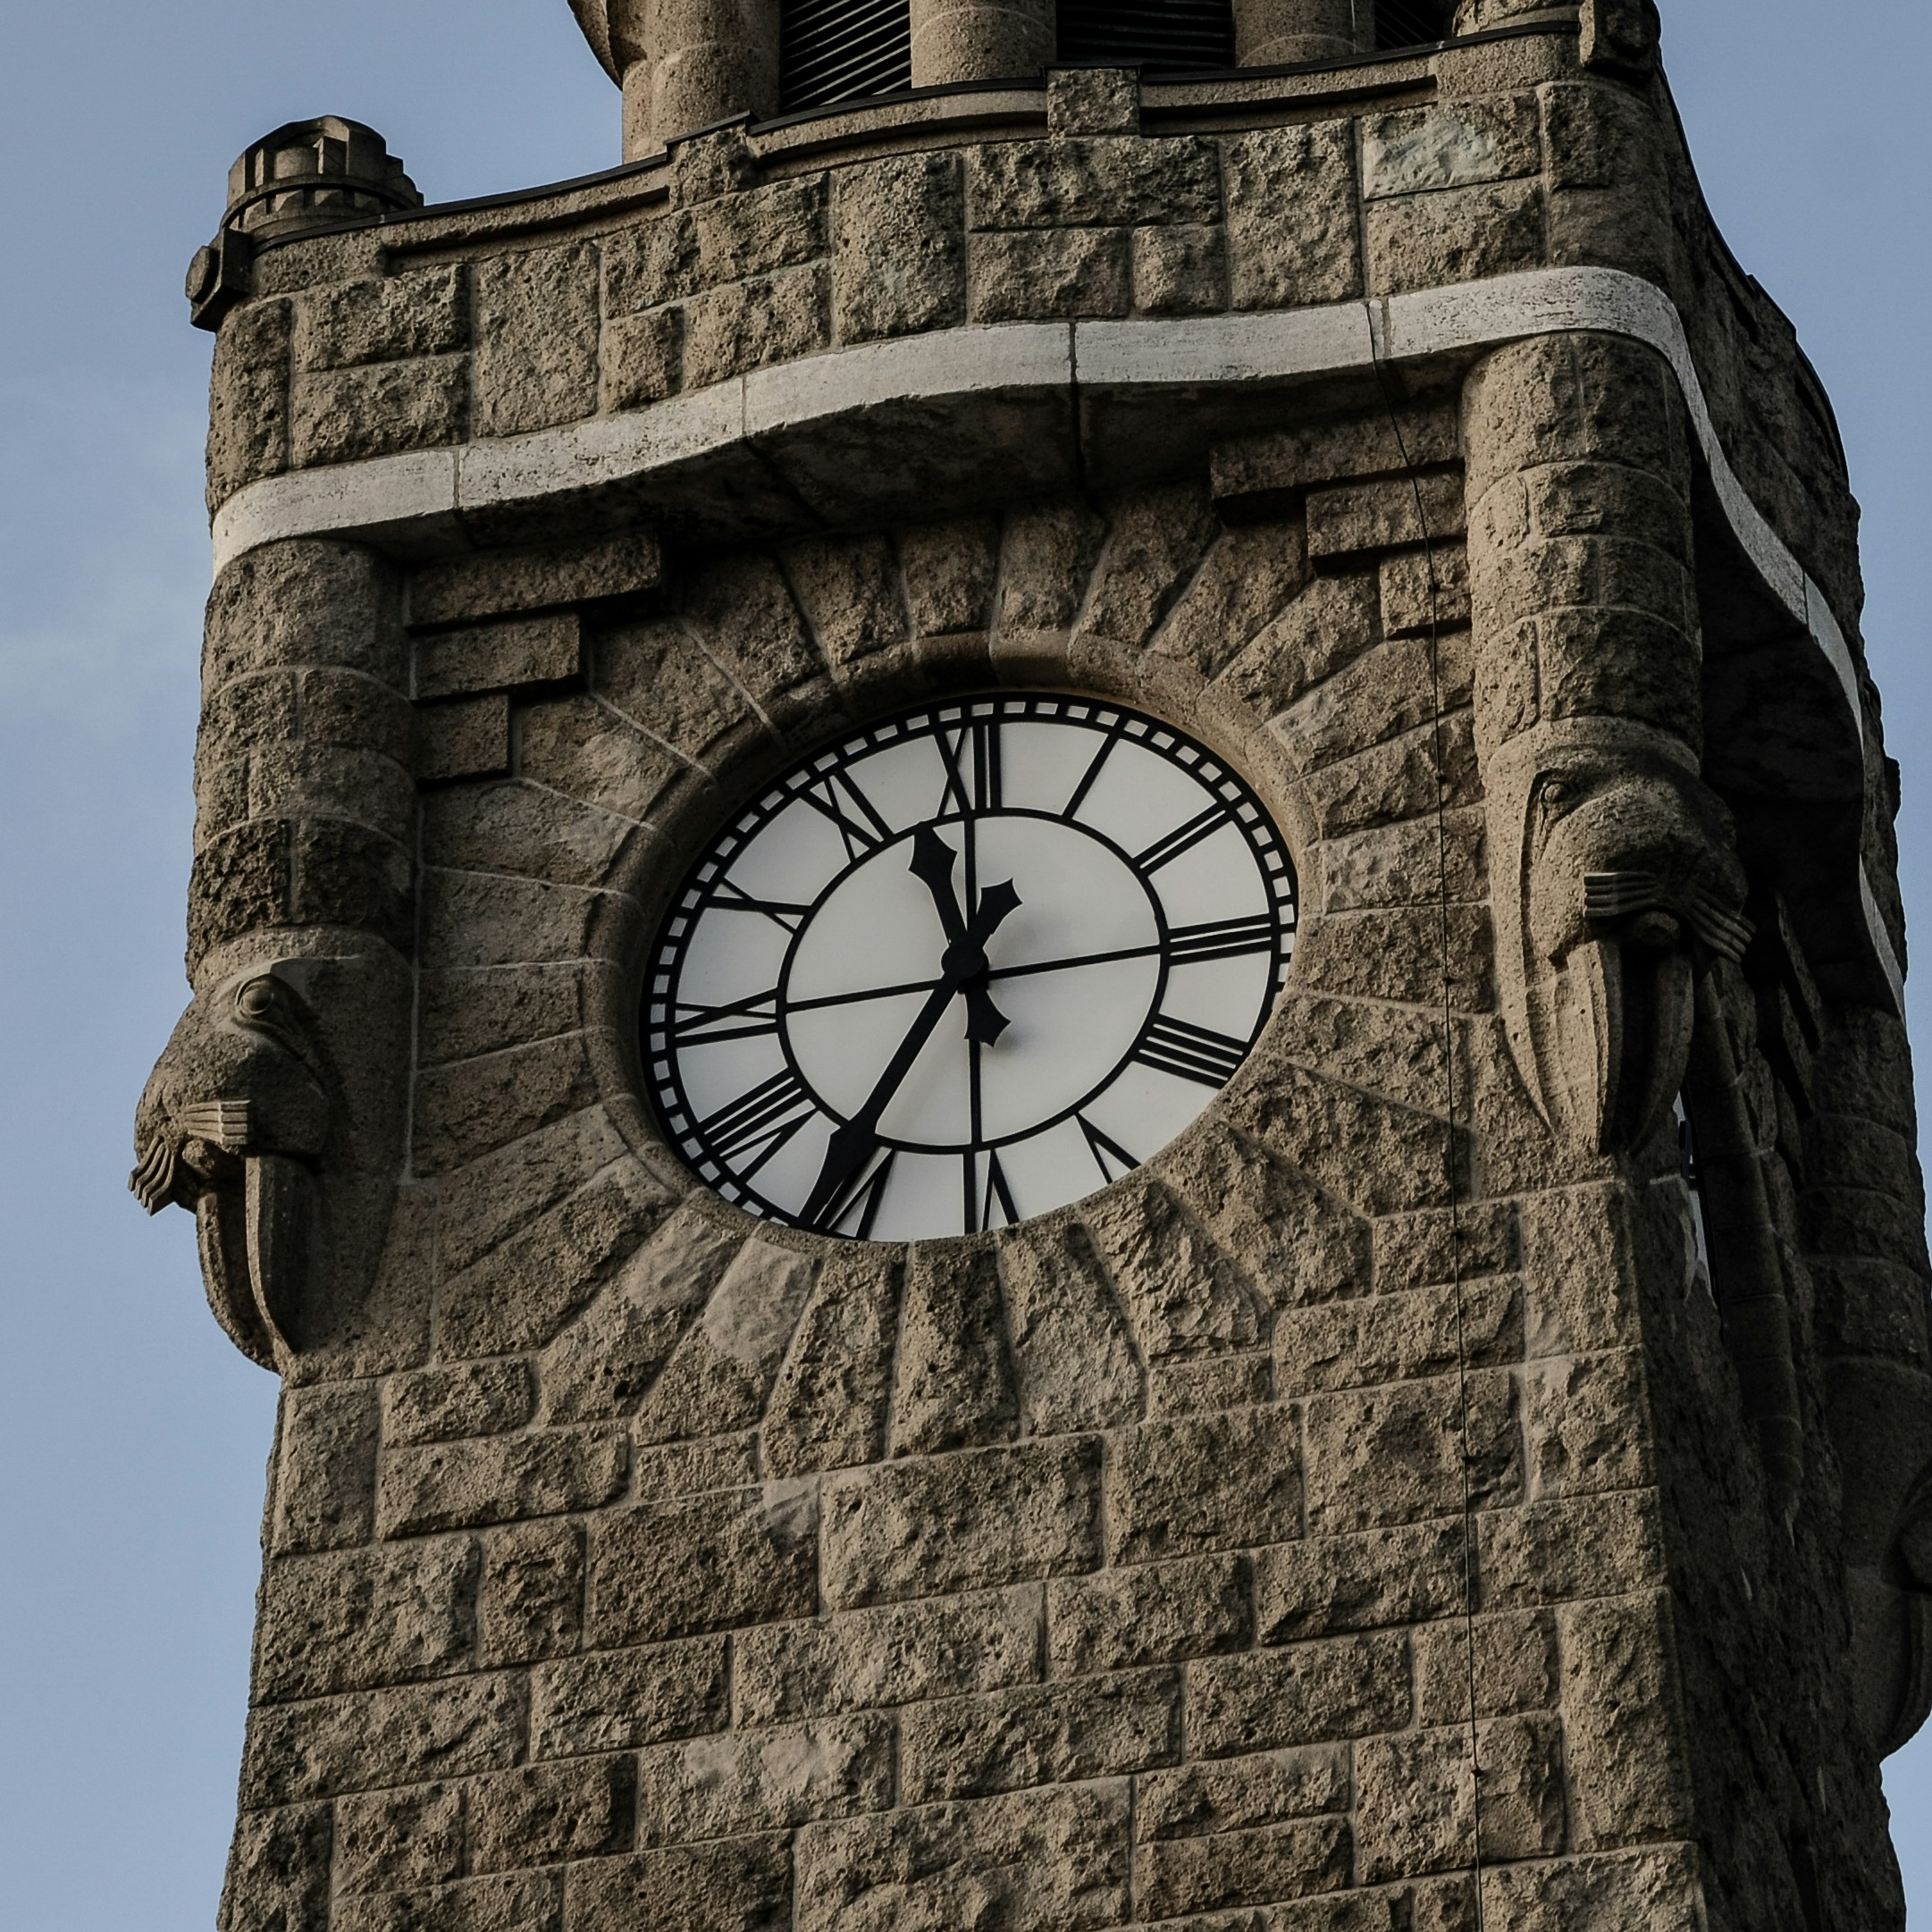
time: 11:35
